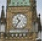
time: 10:36
